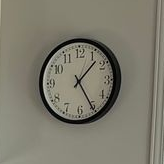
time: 1:25
